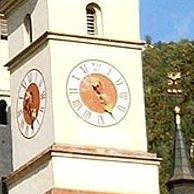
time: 1:24
